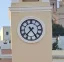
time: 7:24
